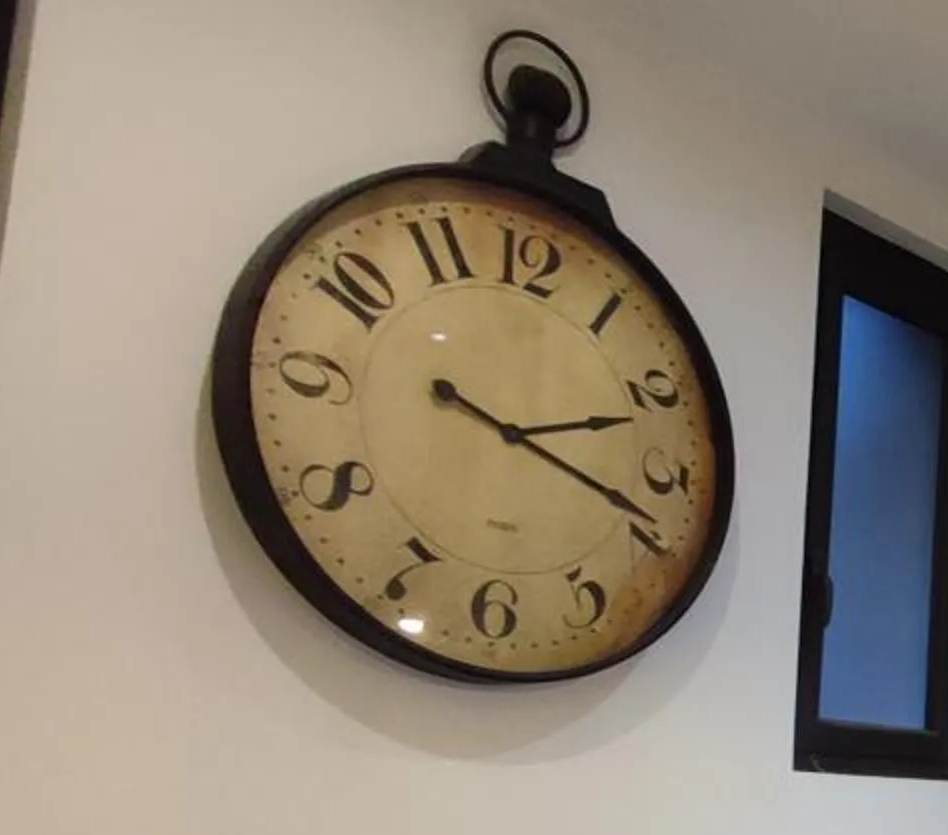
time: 2:18
